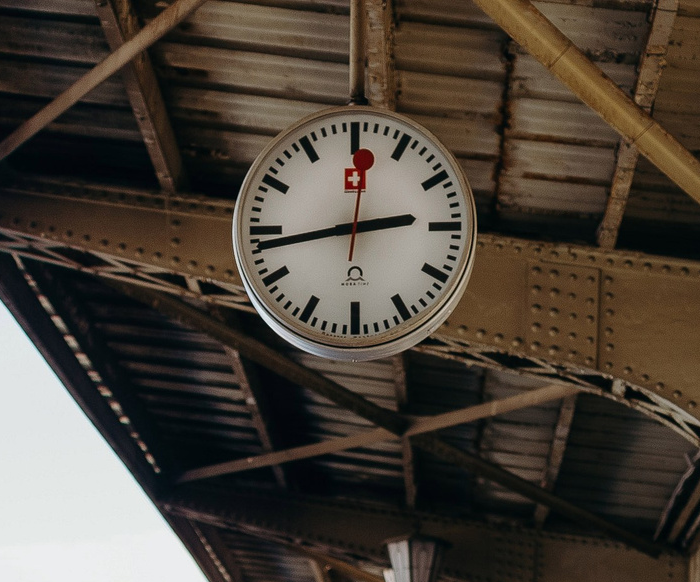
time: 2:43
